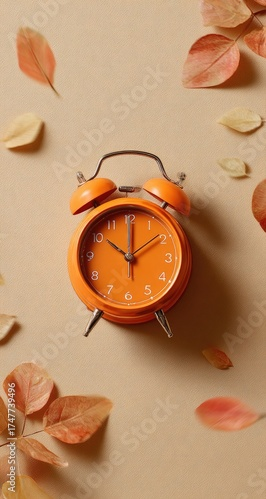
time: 10:00
